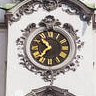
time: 10:36
